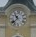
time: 10:37
